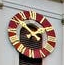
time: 1:51
